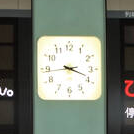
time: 3:43
